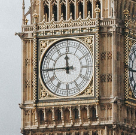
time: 11:44
